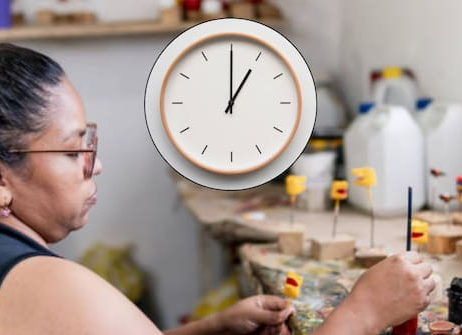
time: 1:00
